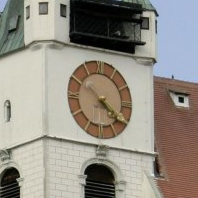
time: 4:21
